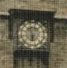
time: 5:57
